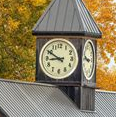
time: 8:50
